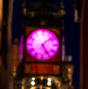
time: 5:08
